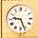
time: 9:26
